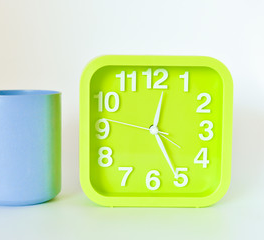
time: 12:25
